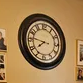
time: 7:46
